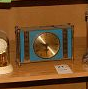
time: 10:23
